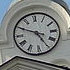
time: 4:49
